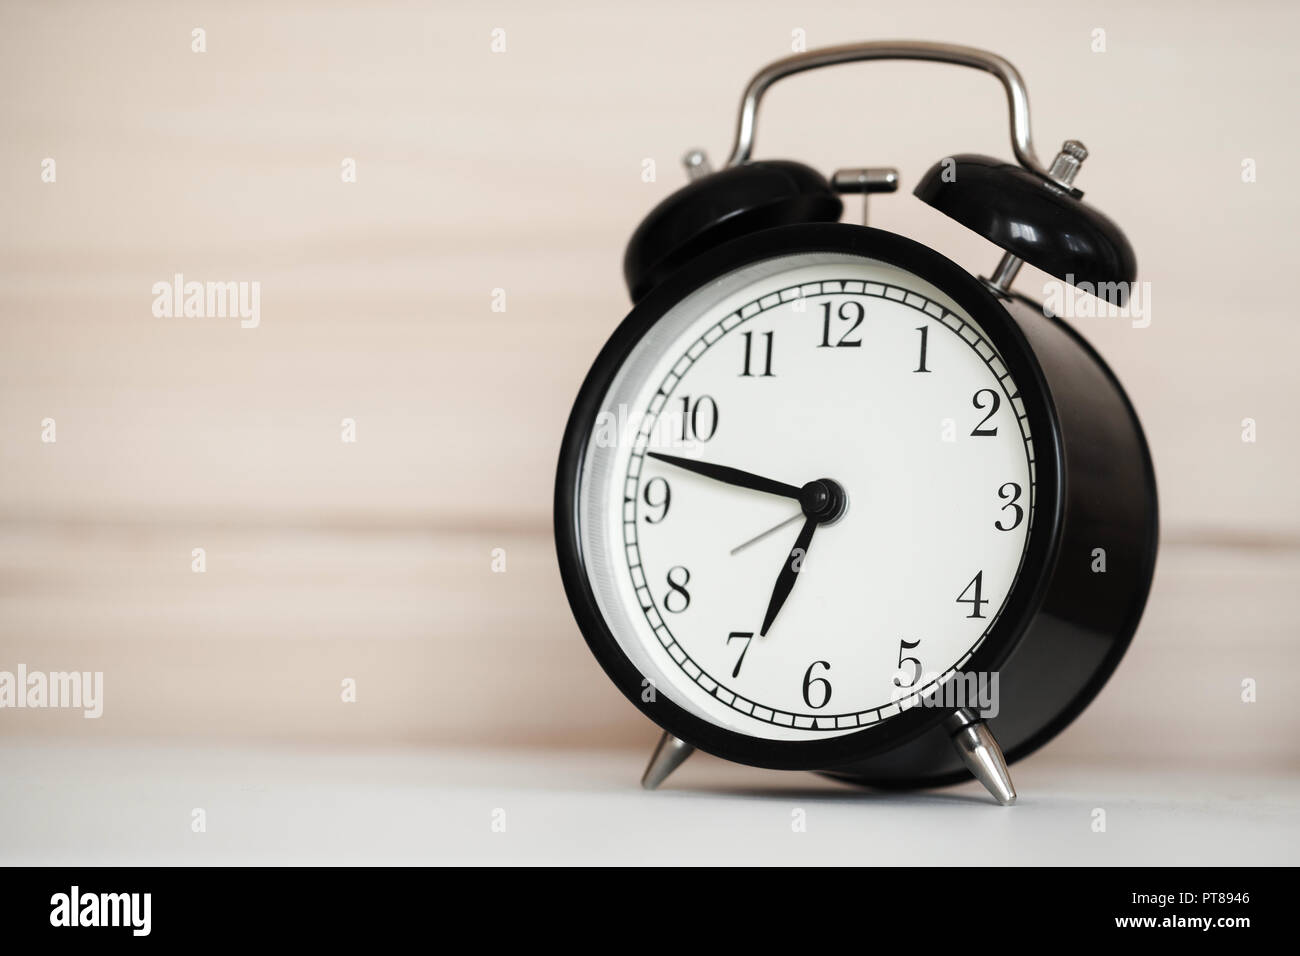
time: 6:47
